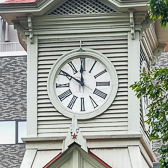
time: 11:50
